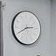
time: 2:40
